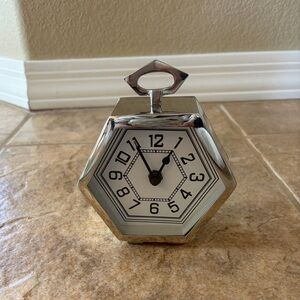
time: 12:54
